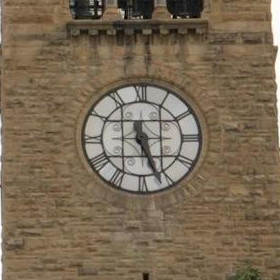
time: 5:26
